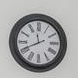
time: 11:41
